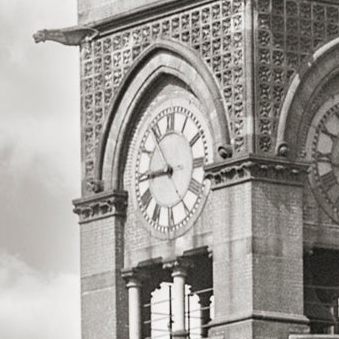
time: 8:54
